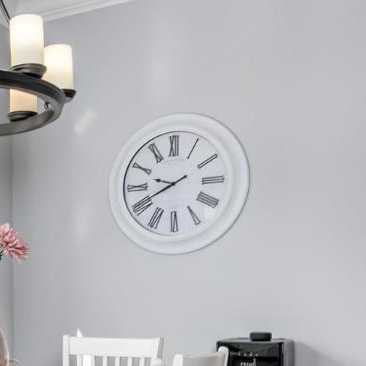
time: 9:41
